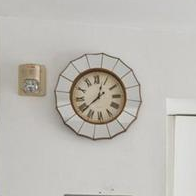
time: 12:38
